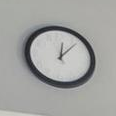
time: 12:07
